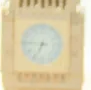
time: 6:45
